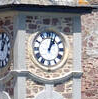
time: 1:02
